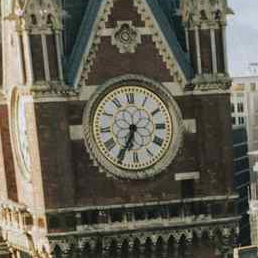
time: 6:34
